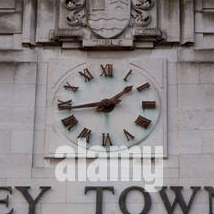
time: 1:43
